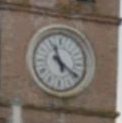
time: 11:20
